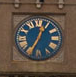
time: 12:34
